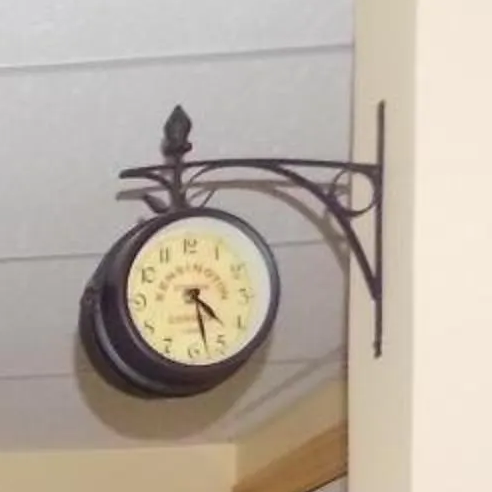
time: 4:27
